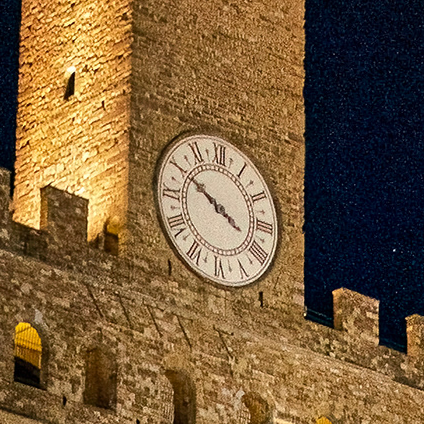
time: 3:50
